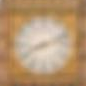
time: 8:11
